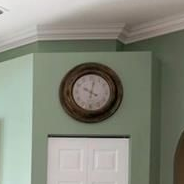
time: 10:02
